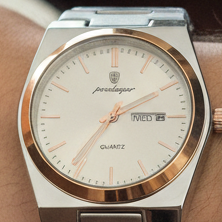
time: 7:10
